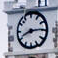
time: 8:14
